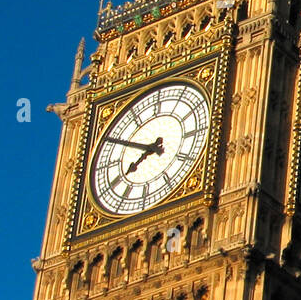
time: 7:49
